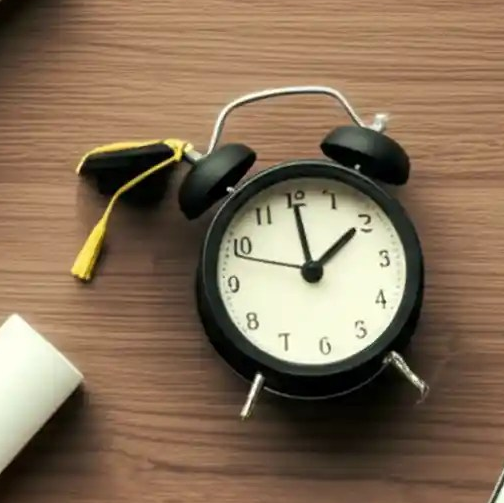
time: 1:59
